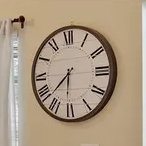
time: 7:30
